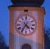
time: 4:35
